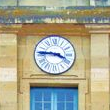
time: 3:45
